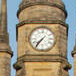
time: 7:36
